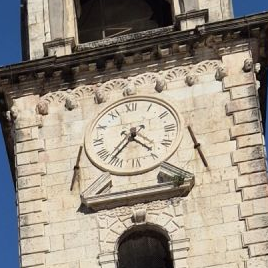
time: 4:36
